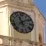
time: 11:09
